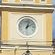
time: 2:02
